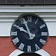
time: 9:56
